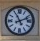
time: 11:11
